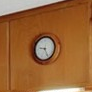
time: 9:25
